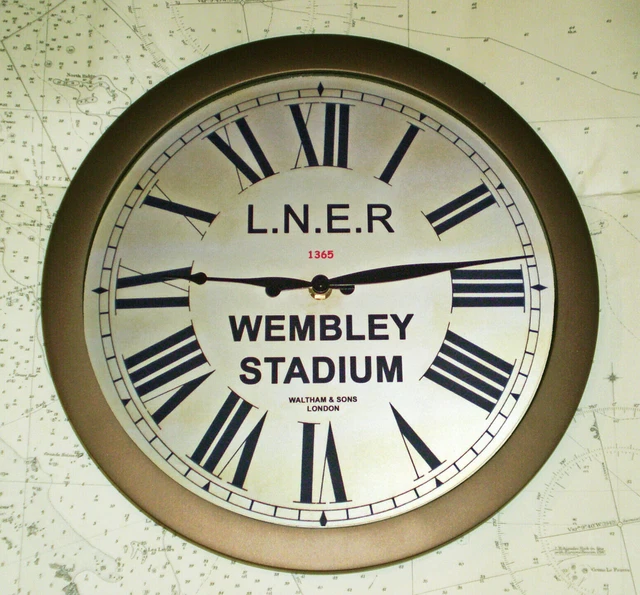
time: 2:45
